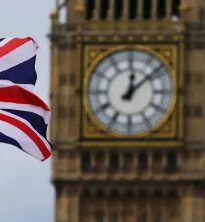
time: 12:08
